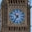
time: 10:36
